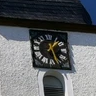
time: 1:26
